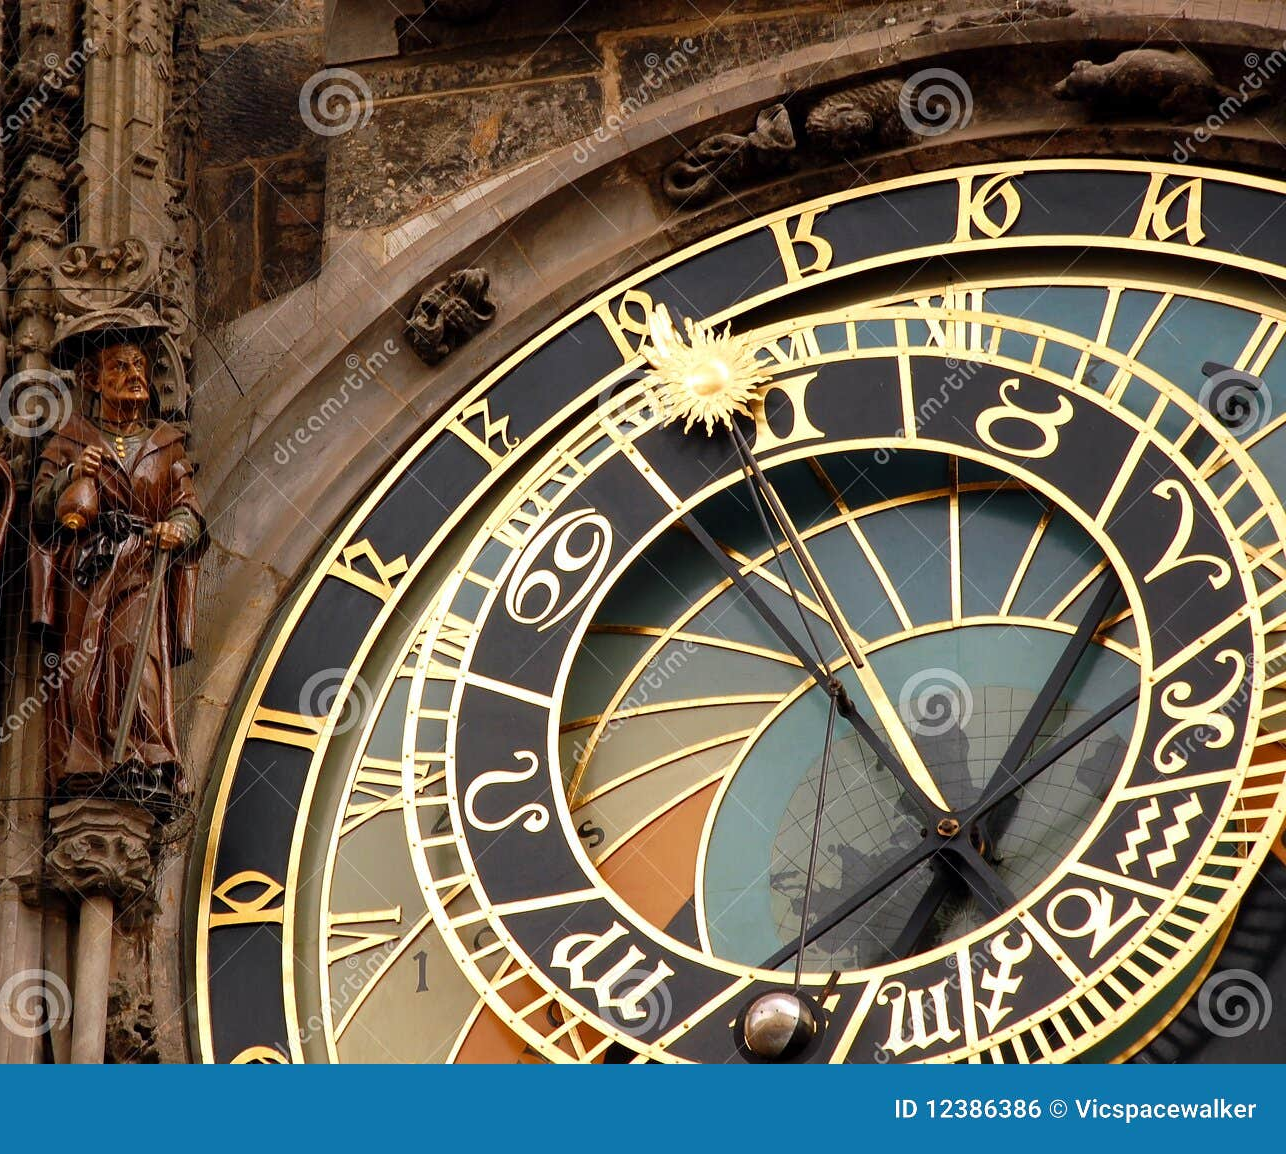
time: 12:52
